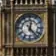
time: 12:22
